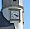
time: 4:17
